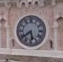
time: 5:38
